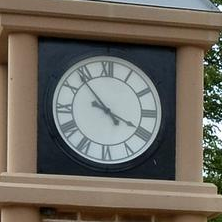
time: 3:53
